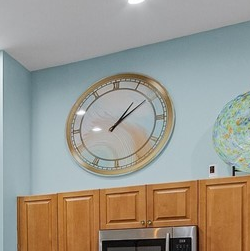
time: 1:08
